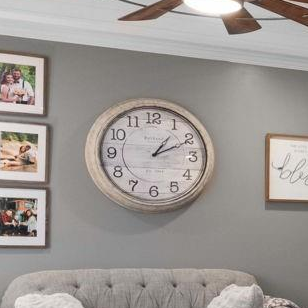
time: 1:10
